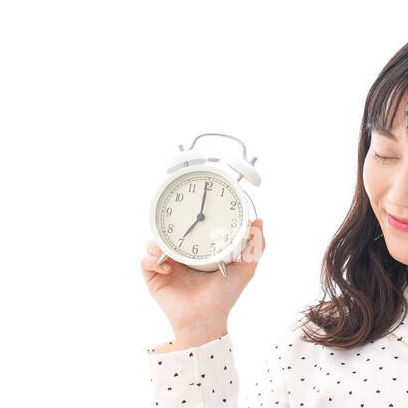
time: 7:00
